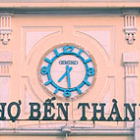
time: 7:28
